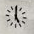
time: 4:59
